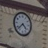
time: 4:37
